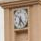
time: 6:23
